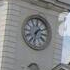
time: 1:32
